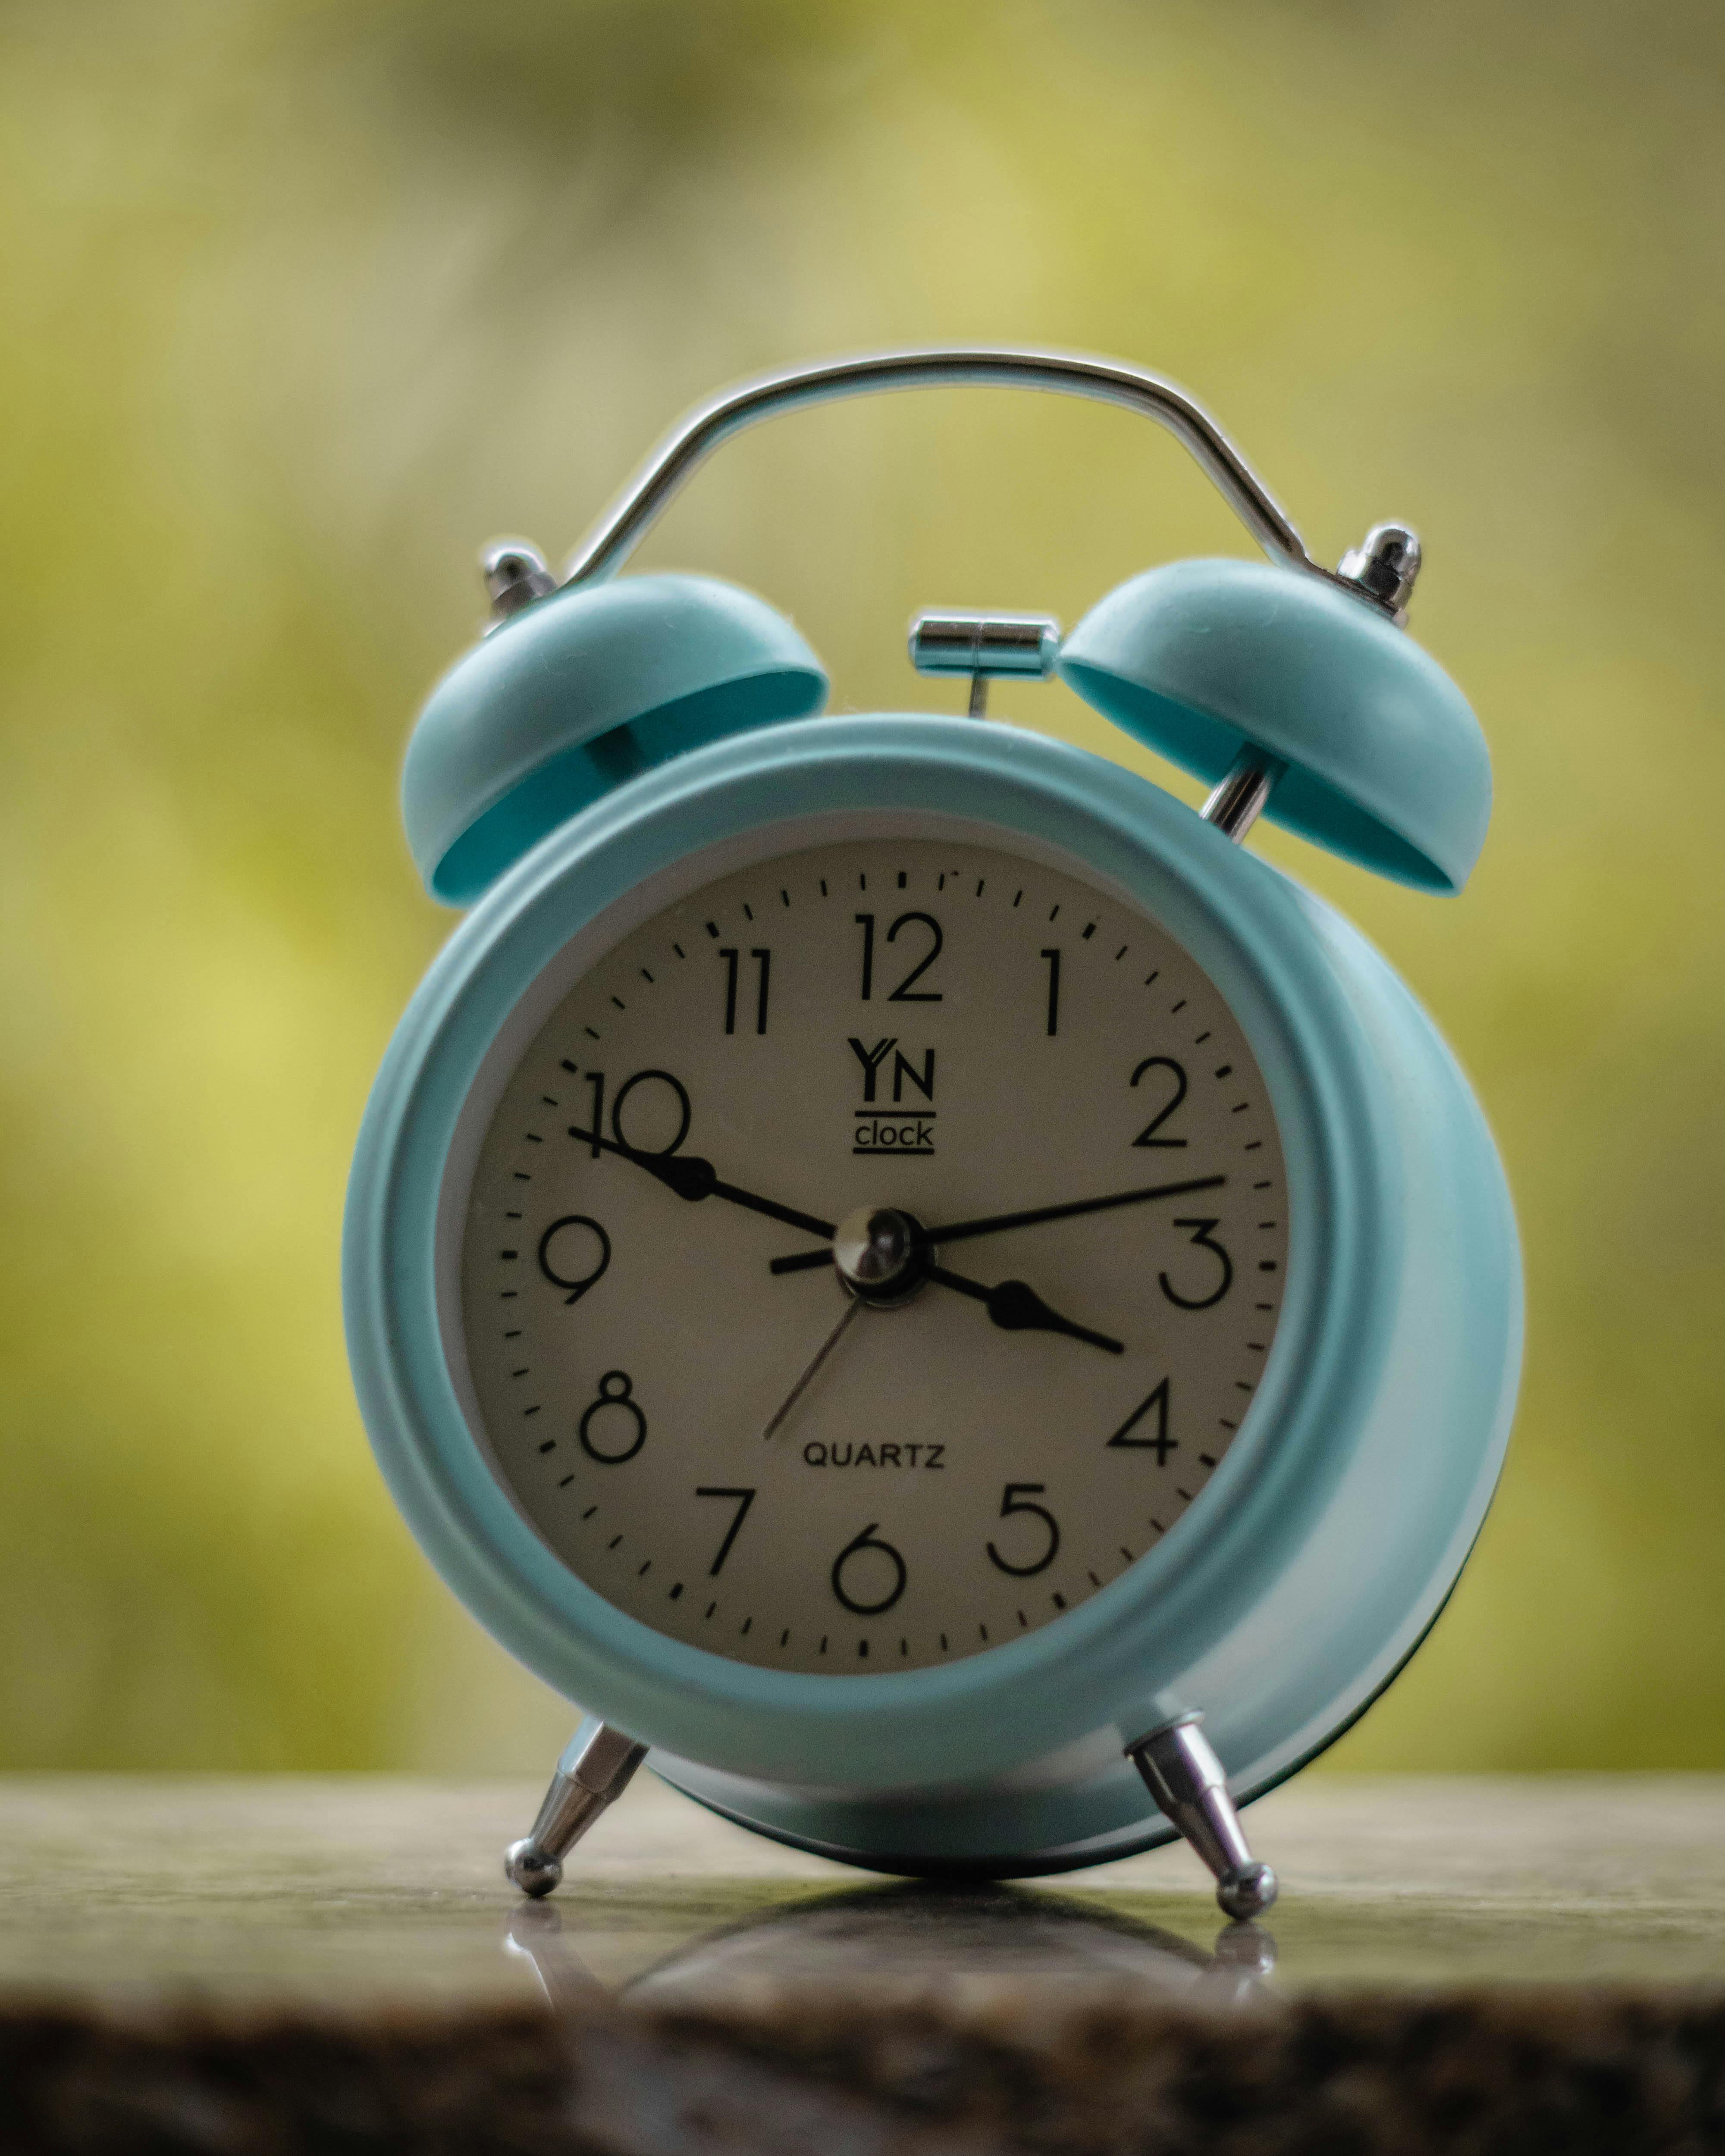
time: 3:48
